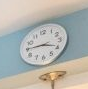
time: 3:45
